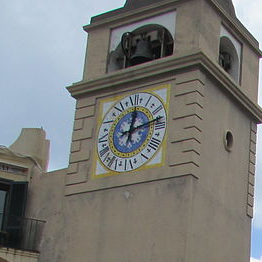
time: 12:12
